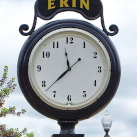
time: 11:37
